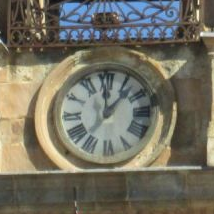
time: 12:07
